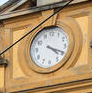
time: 4:19
